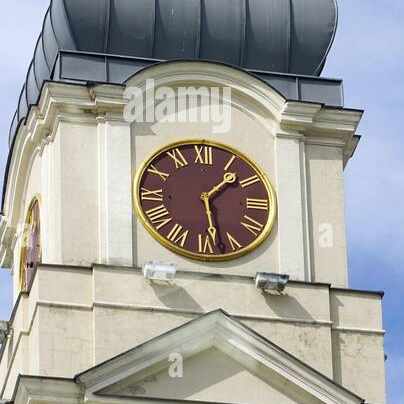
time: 1:28
